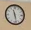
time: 11:28
